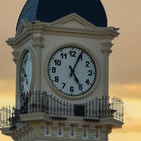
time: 5:04
